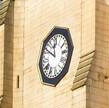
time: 11:50
